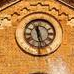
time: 11:28
